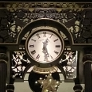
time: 12:27
